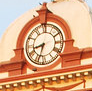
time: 8:33
